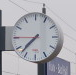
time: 7:37
